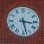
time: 3:27
